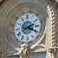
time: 2:18
